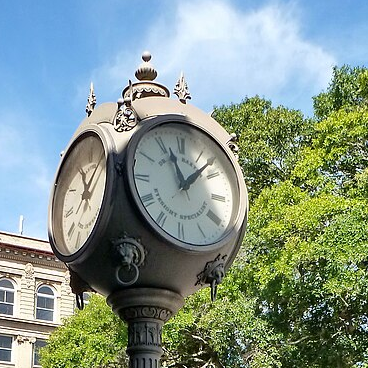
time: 11:07
